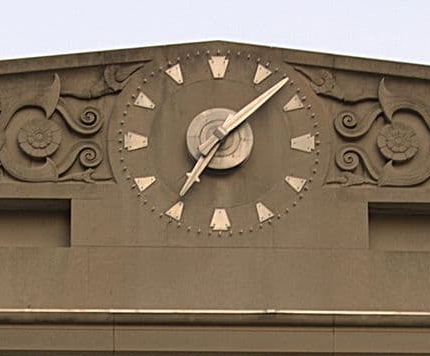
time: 7:07
